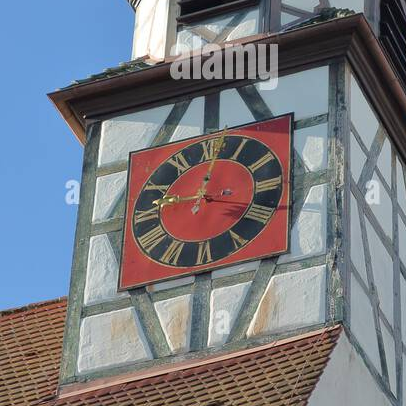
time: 12:18
